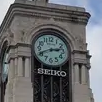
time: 2:40
